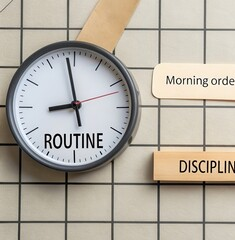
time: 8:58
